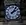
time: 2:06
